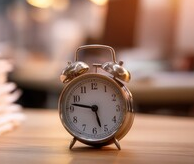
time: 5:46
